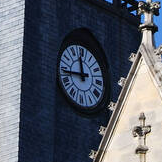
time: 11:43
